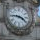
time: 3:45
